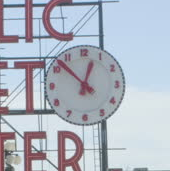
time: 12:52
